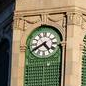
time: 4:39
